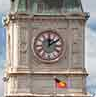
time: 12:09
